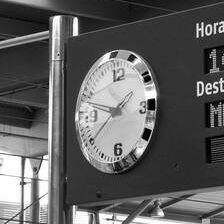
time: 1:47
